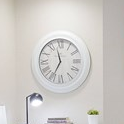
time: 11:34
